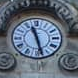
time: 11:28
